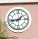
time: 1:43
